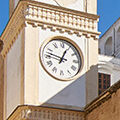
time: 12:47
